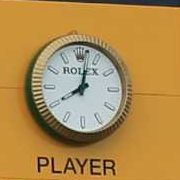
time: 8:01
